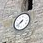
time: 7:37
